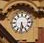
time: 5:31
